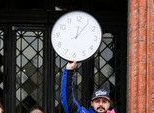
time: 12:06
